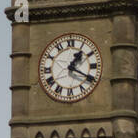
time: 1:19
